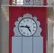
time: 4:46
